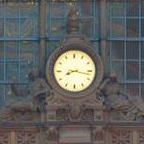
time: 8:17
